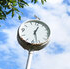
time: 12:27
